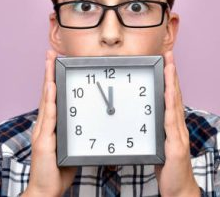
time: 11:55
